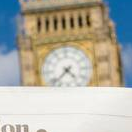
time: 4:37
